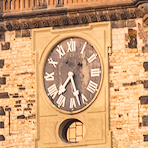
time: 7:27
